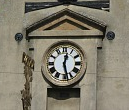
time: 12:27
